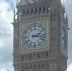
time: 2:16
